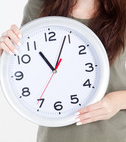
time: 11:04
